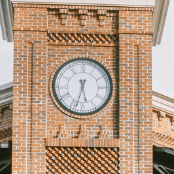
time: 5:33
